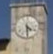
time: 4:29
